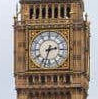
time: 2:33
